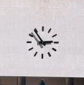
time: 2:54
